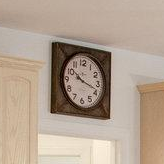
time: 10:18
